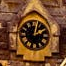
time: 2:02
